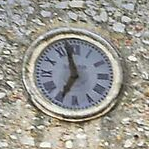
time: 6:57
